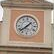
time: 1:38
